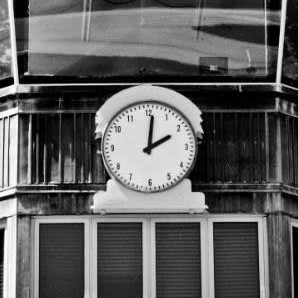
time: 2:01
